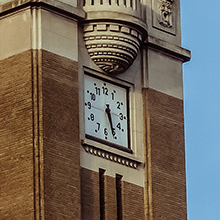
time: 5:26
